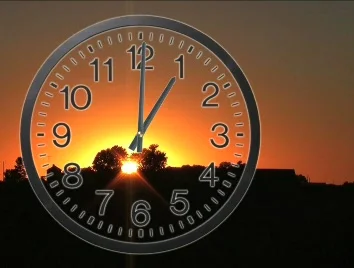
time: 1:00
